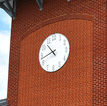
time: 10:42
